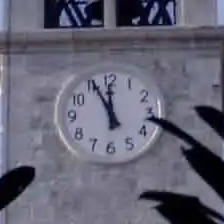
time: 11:55
